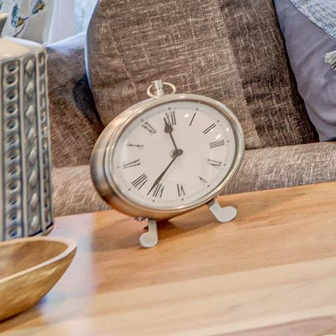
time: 11:36
